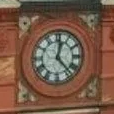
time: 12:23
